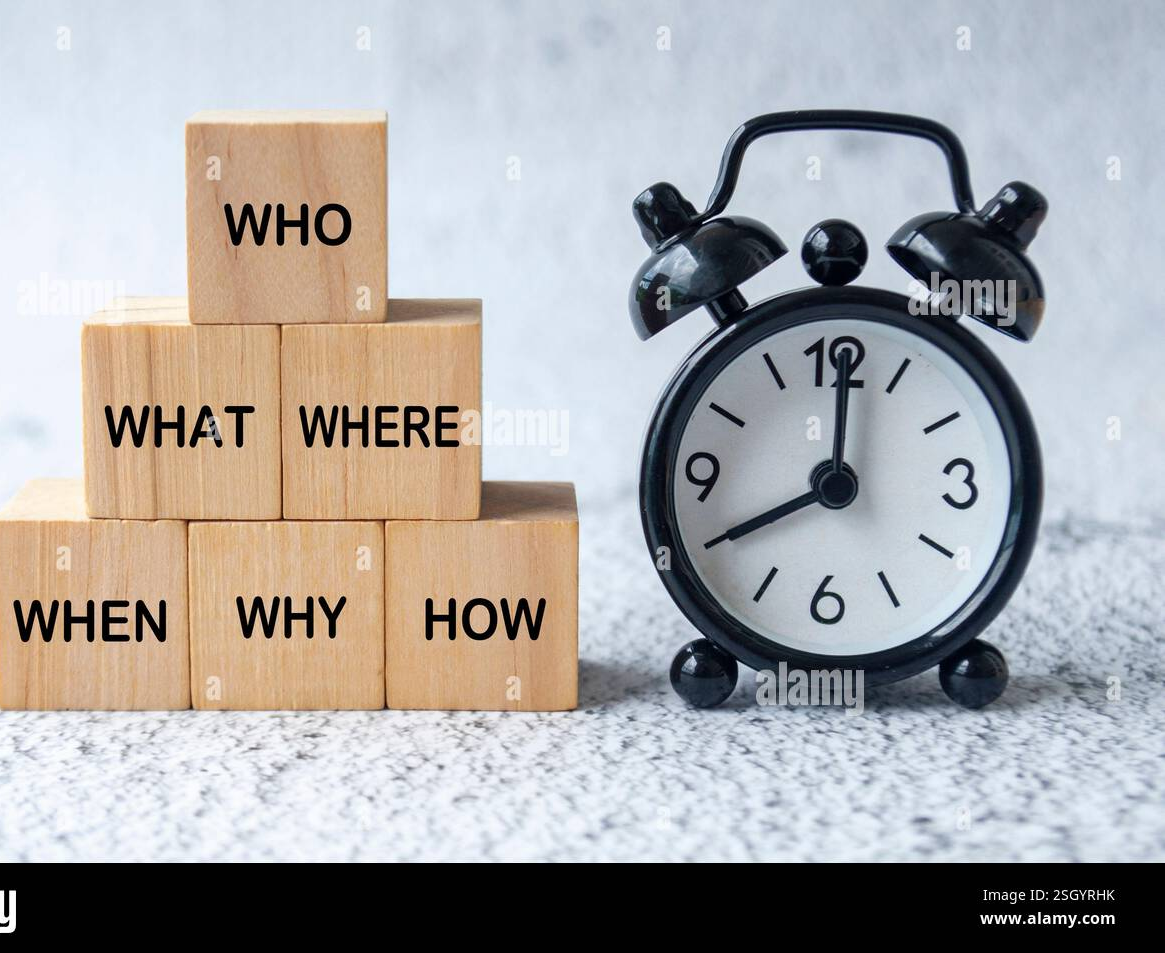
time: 8:00
